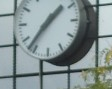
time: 1:36
